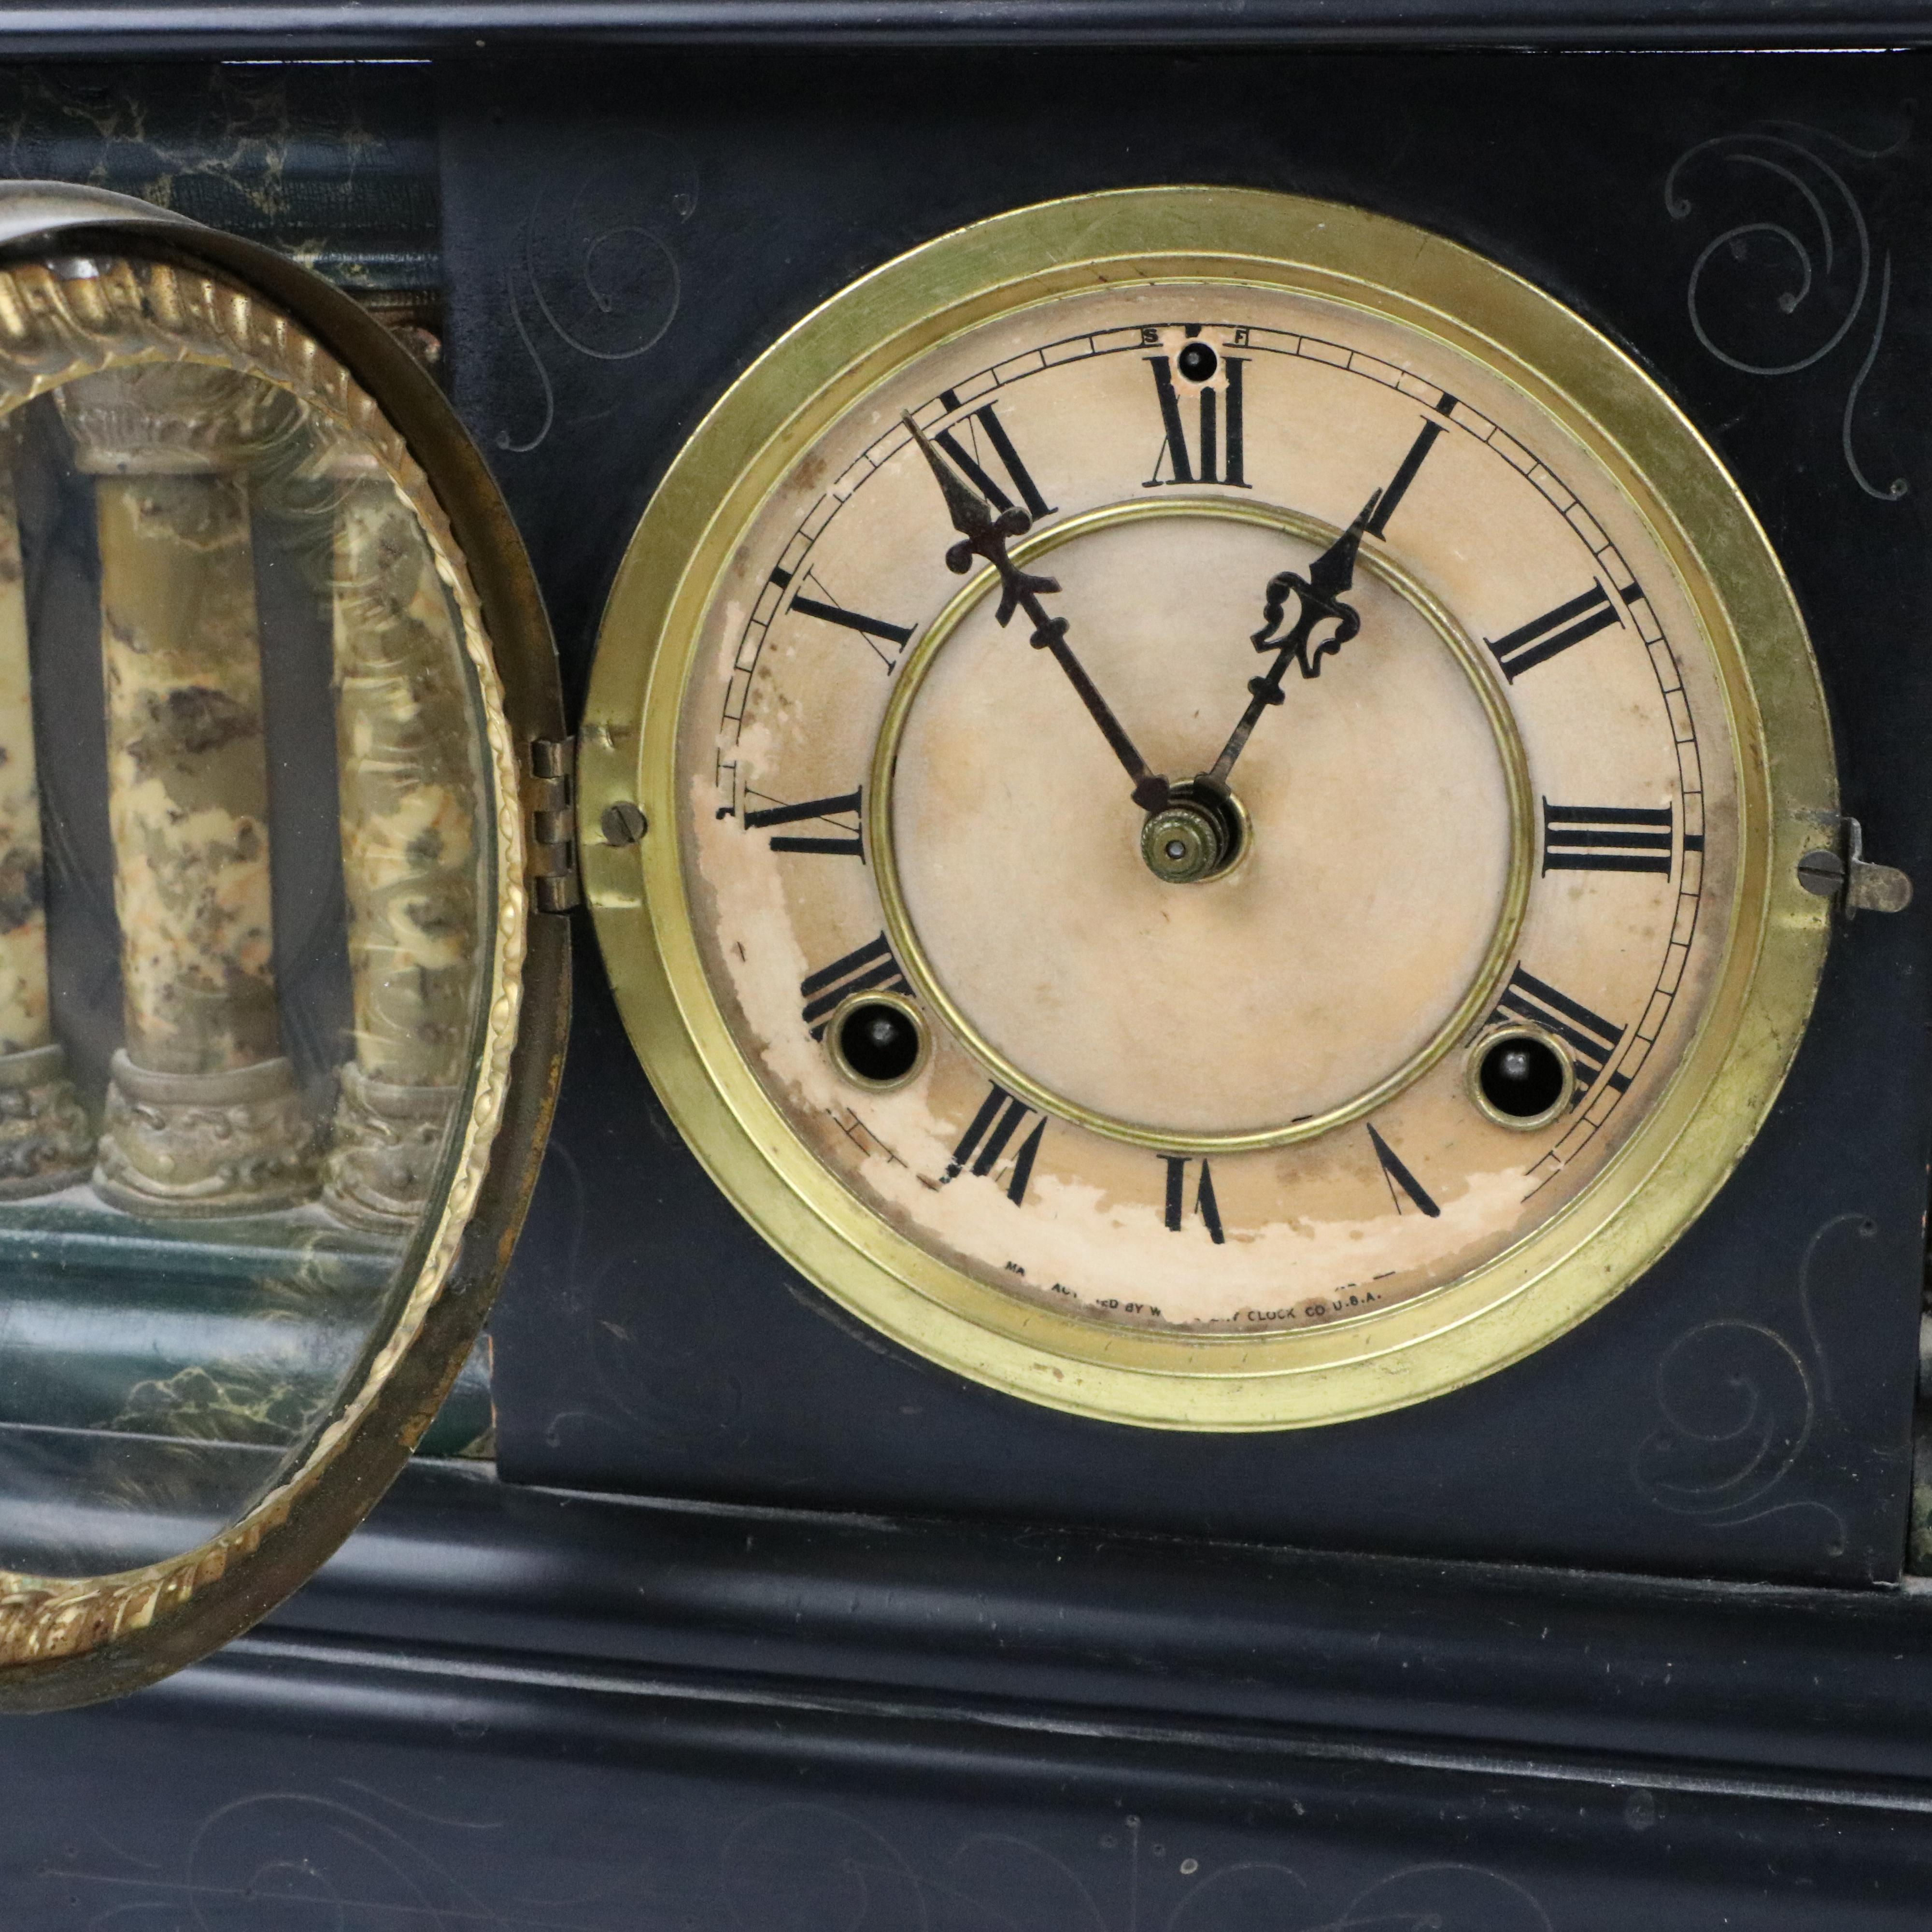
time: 12:54
